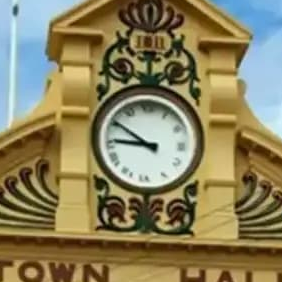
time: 8:50
